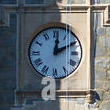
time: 2:01
